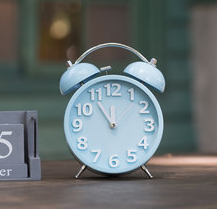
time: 11:54
